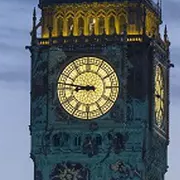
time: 8:46
